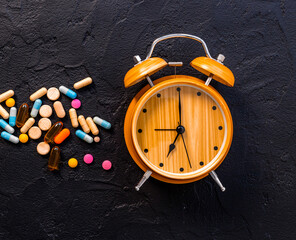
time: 7:00
